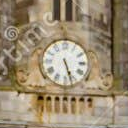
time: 5:26
